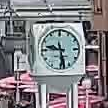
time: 9:28
